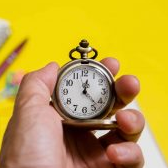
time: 12:23
